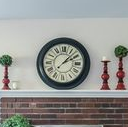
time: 2:07
